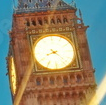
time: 8:22
